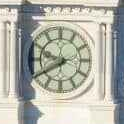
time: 9:40
